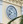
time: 9:38
